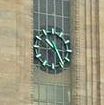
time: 10:24
